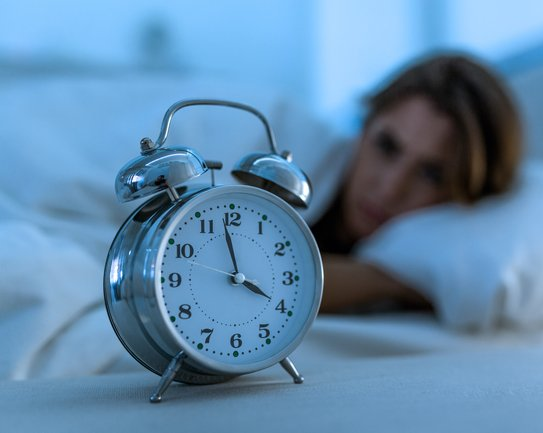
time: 3:58
